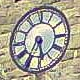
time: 5:34
